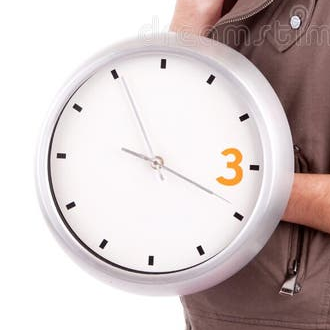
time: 3:55
